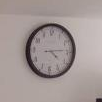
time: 4:14
